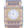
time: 11:47
